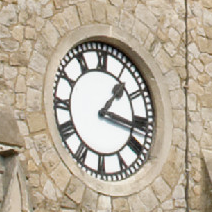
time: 1:16
